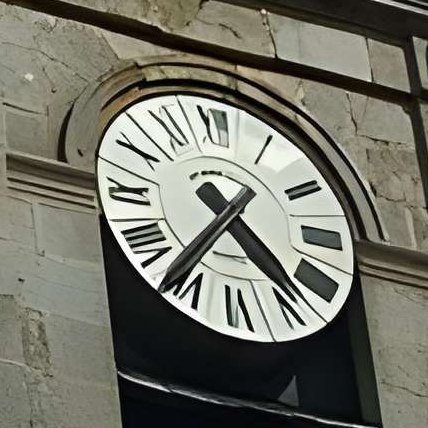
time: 4:36
